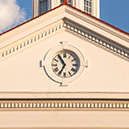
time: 10:34
